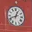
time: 12:41
